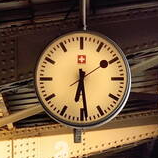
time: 6:28
